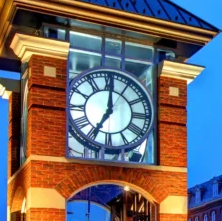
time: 7:00
